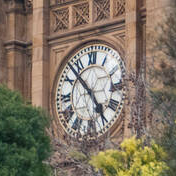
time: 4:52
